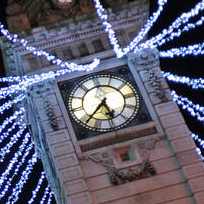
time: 5:38
